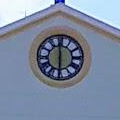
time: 5:59
